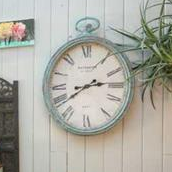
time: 2:38
